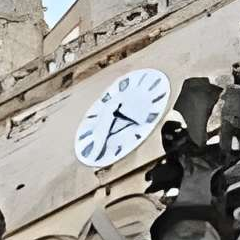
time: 4:34
